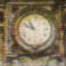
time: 10:48
